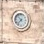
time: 7:37
